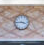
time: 3:45
